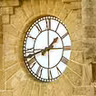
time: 1:42
